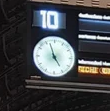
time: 4:57
